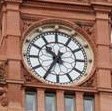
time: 10:34
